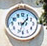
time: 1:33
